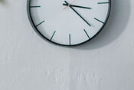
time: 3:22
